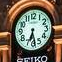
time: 6:28
